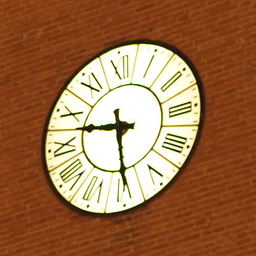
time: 9:29
